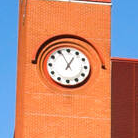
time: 12:55
